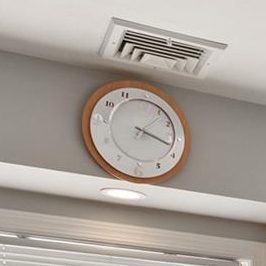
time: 3:17
